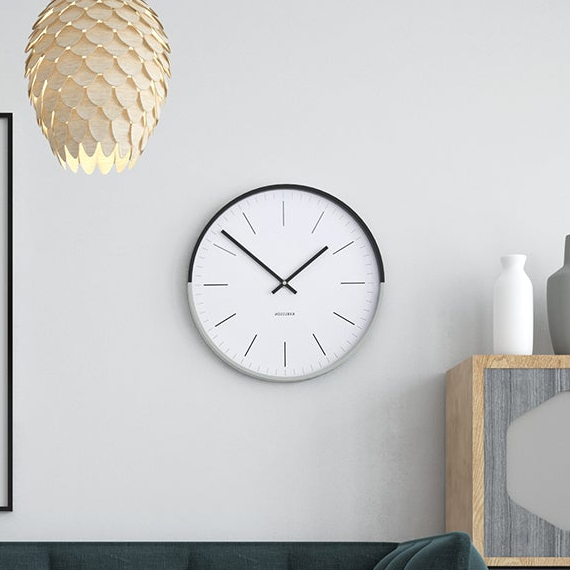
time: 1:51
